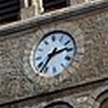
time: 2:36
